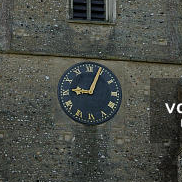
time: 9:04
